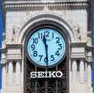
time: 11:29
